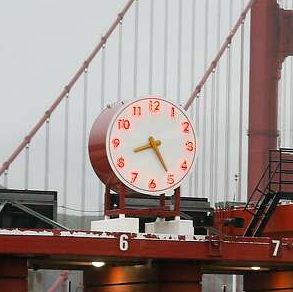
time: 8:24
